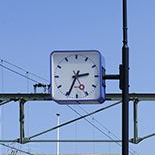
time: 2:34
